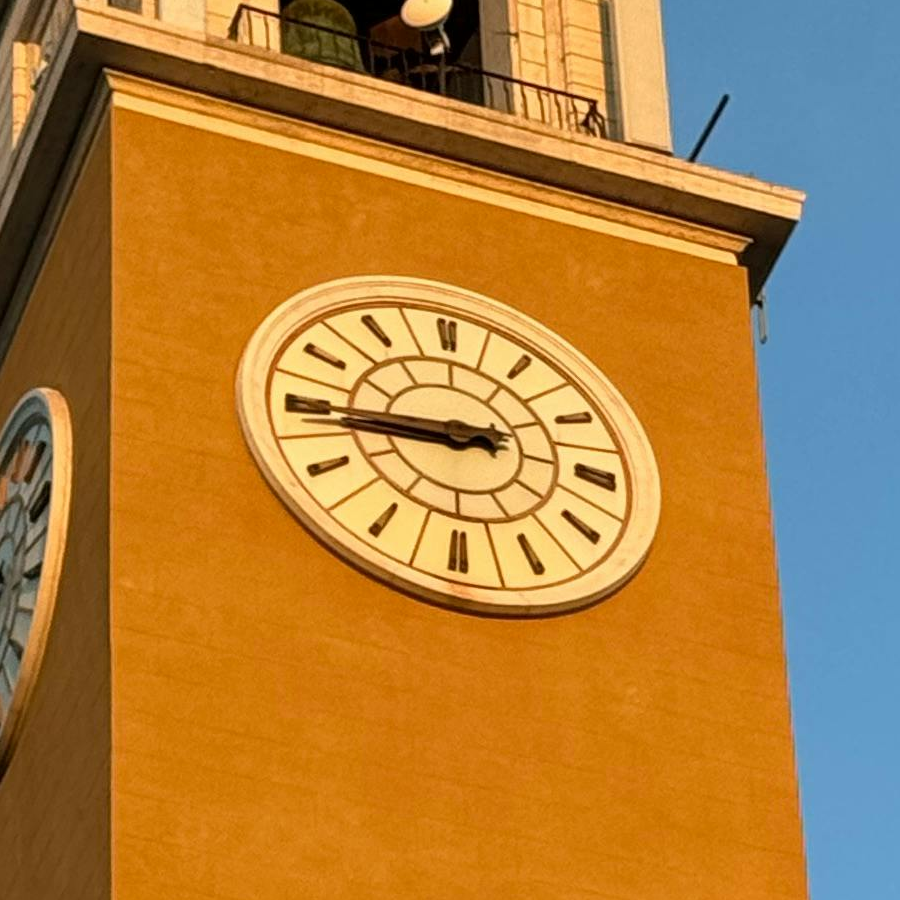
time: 8:44
